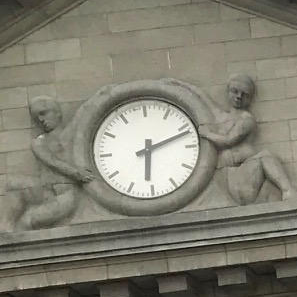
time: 6:11
